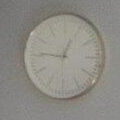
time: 12:45
